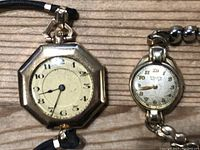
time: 8:34
